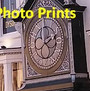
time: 1:59
